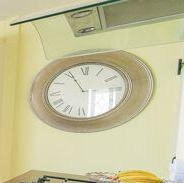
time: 5:55
